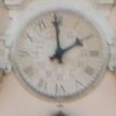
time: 1:59
